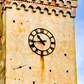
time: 10:43
